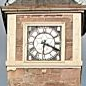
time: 6:18
